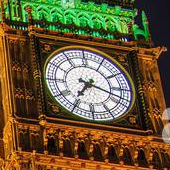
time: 7:18
